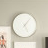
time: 5:06
